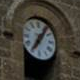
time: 7:06
